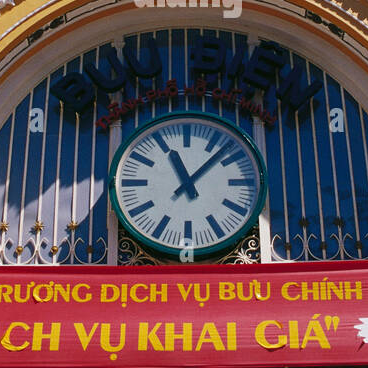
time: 11:07
